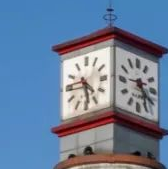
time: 4:28
